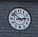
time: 2:52
